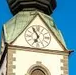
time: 6:54
